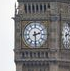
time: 2:29
